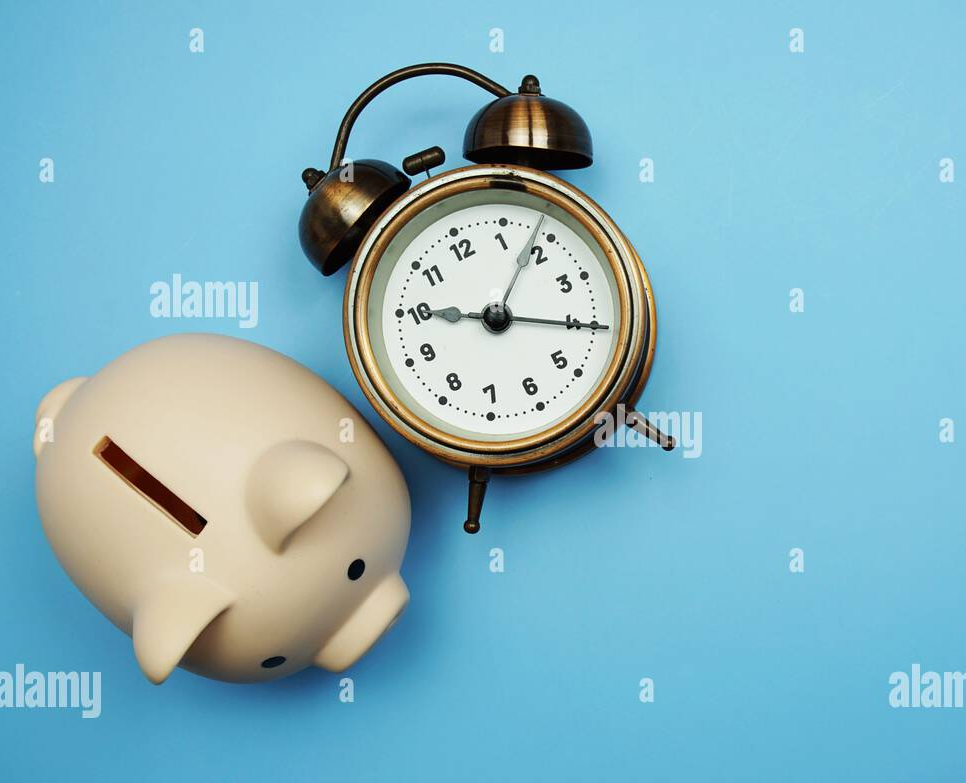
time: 9:15
